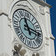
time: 11:16
